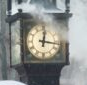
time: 12:16
